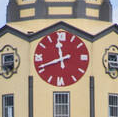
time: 11:41
